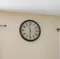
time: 11:31
